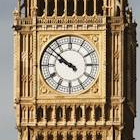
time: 9:51
